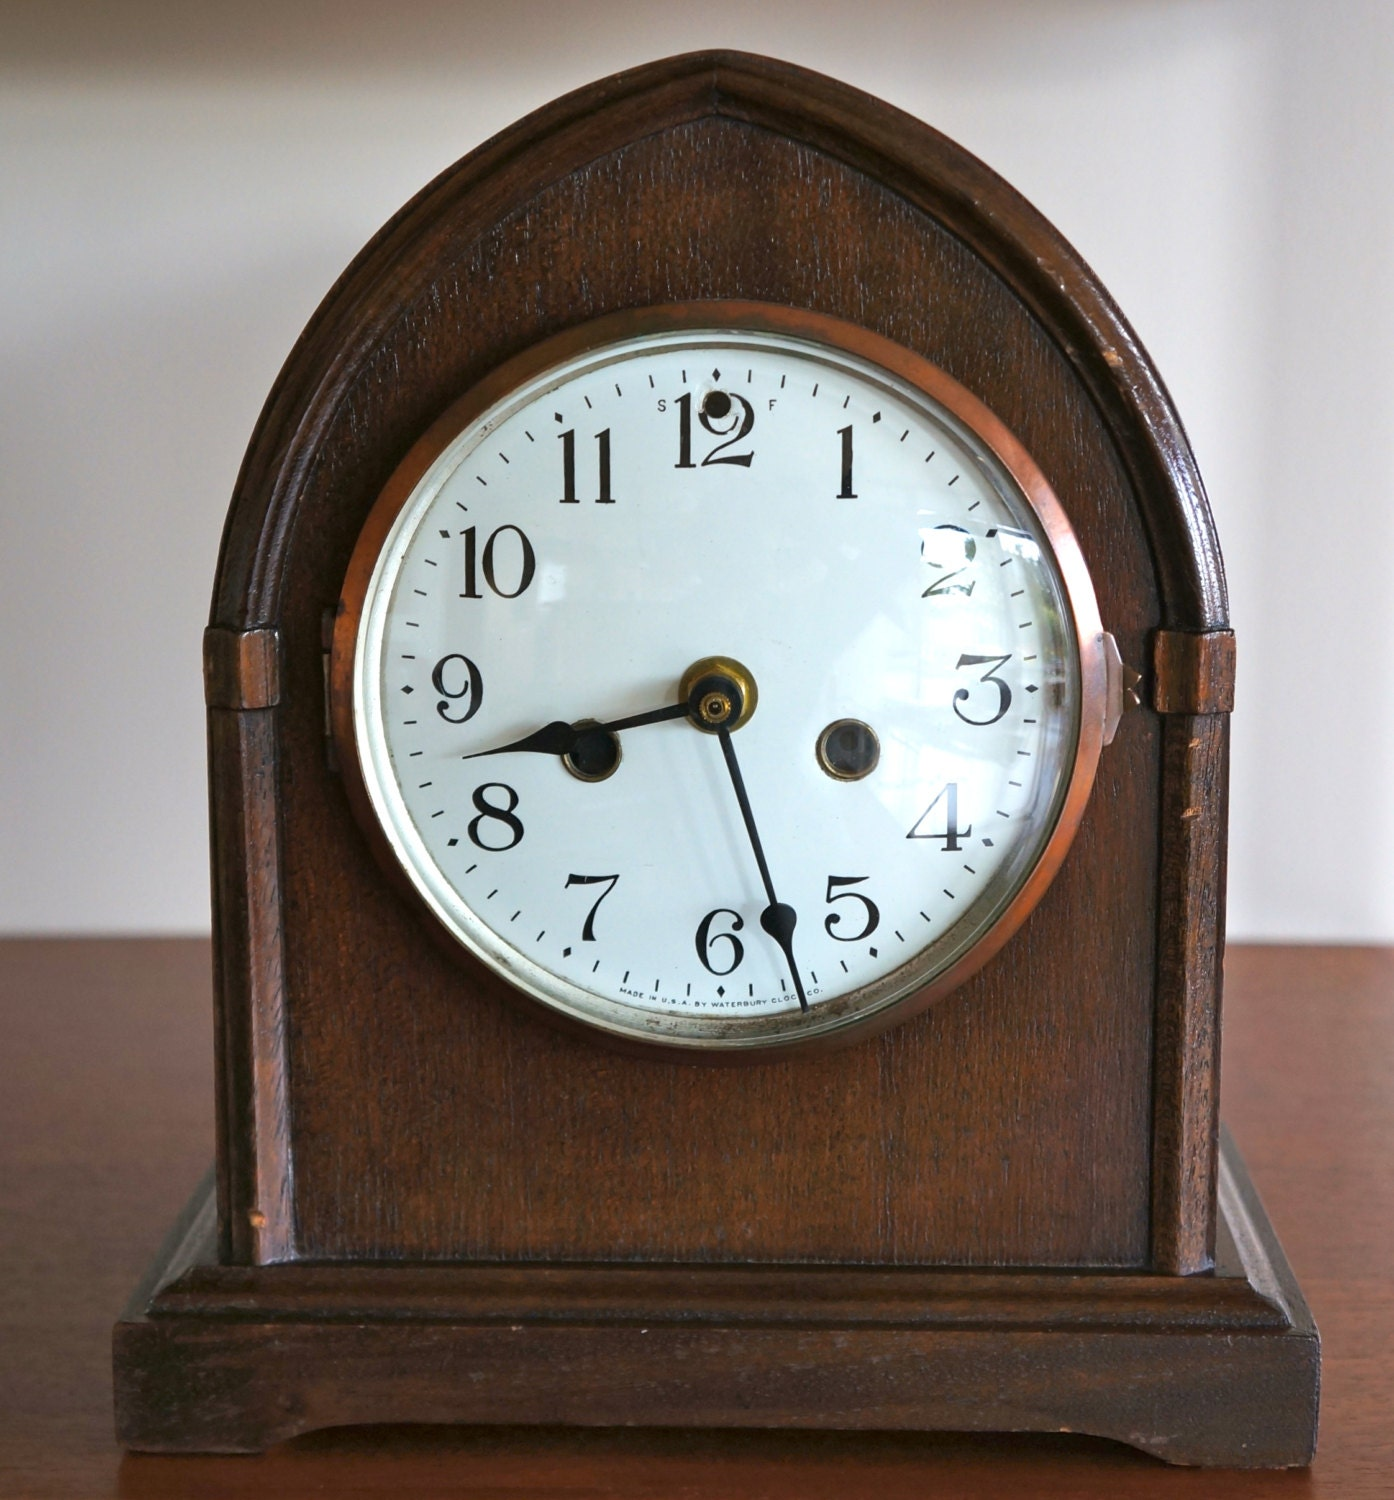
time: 8:27
